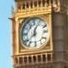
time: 12:38
